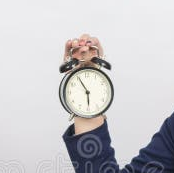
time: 5:55
